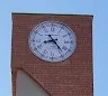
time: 8:23
